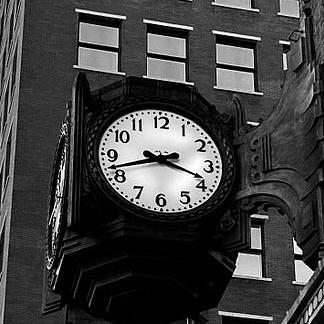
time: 3:42
